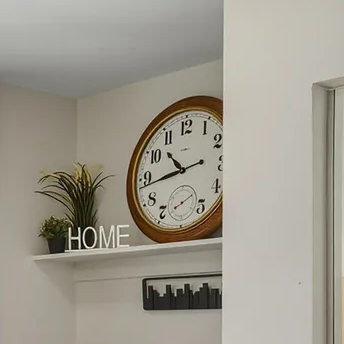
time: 10:43
